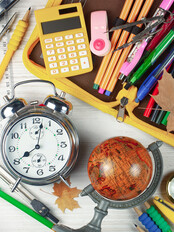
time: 8:02
